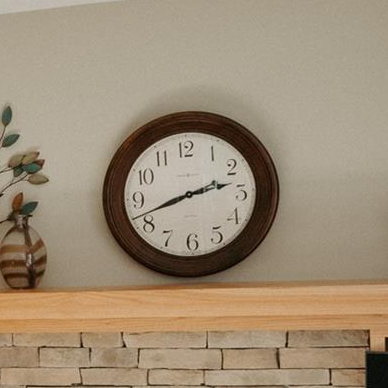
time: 2:41
